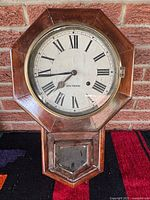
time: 7:44
